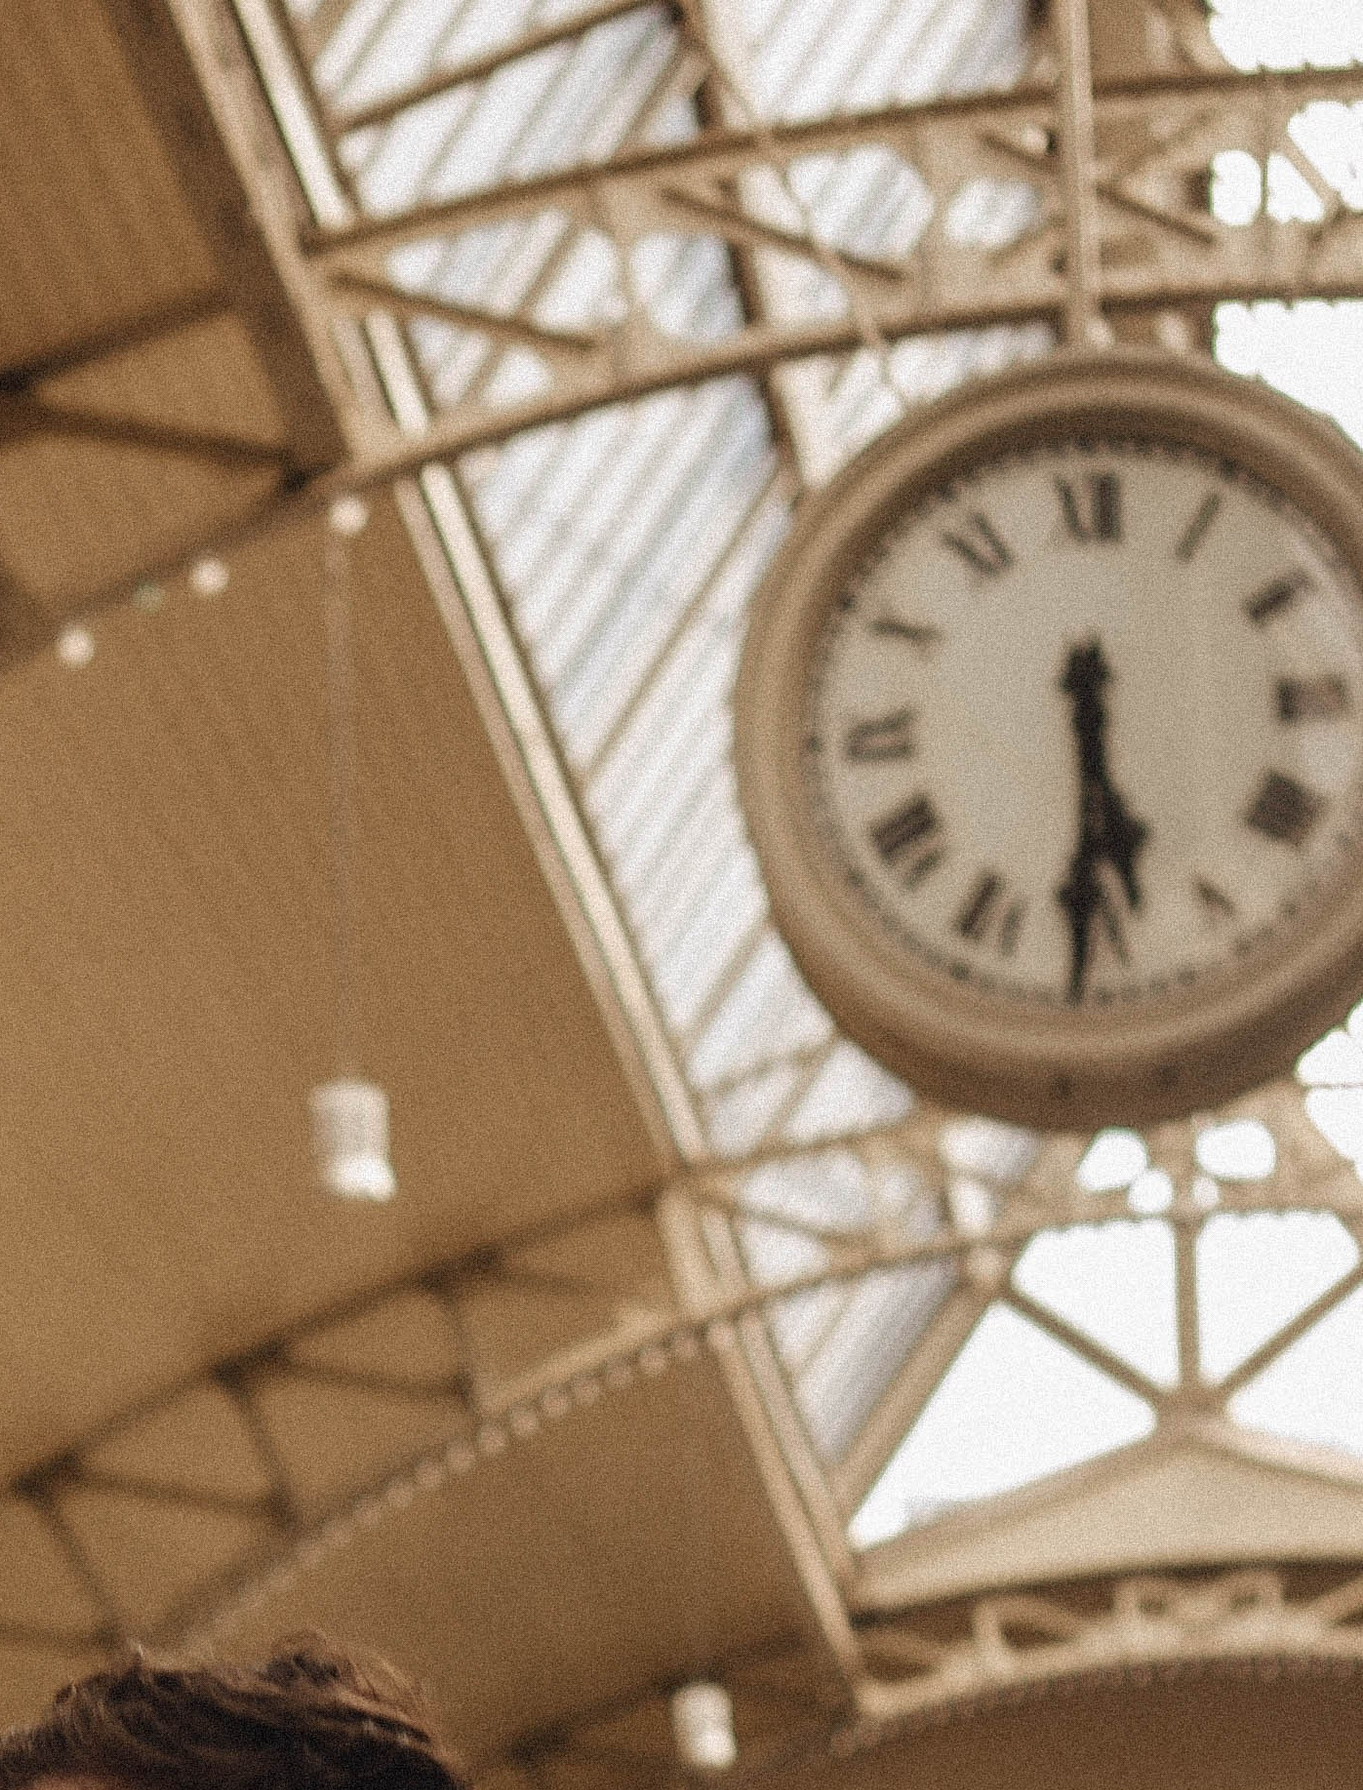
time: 5:30
